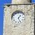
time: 1:26
